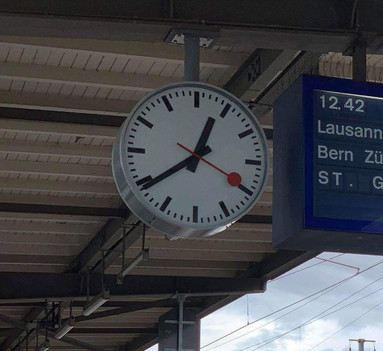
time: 12:39
